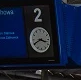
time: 3:40
